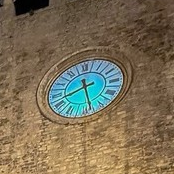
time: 8:28
